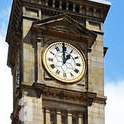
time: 12:59
